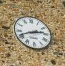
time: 2:41
